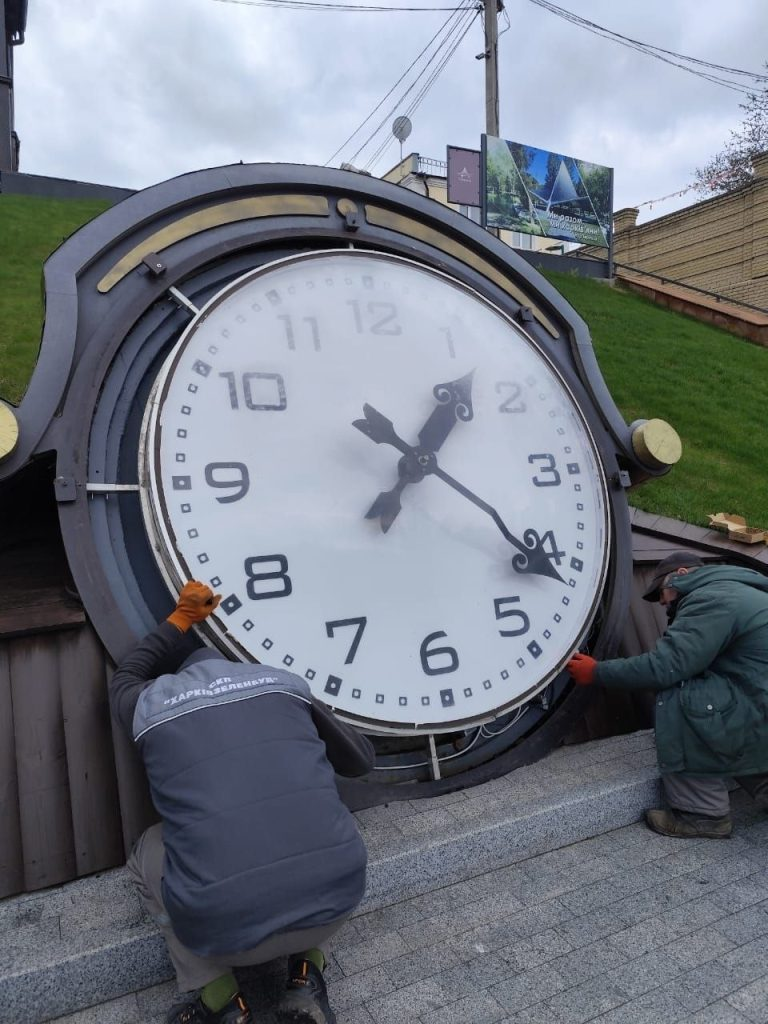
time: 1:21
